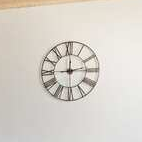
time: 12:13
